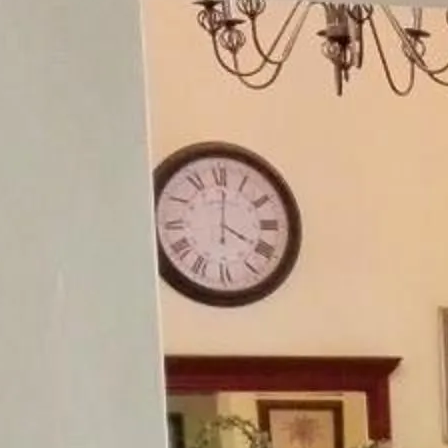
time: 4:01
